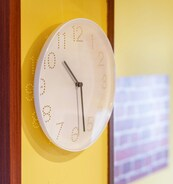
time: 10:28
